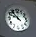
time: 9:53
